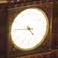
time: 4:45
